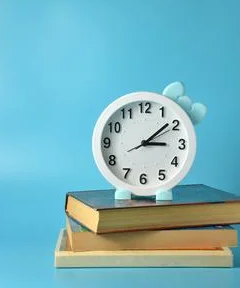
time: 3:08
